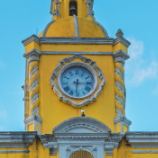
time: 6:15
